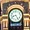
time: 8:24
